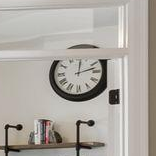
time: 12:12
